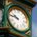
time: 9:45
